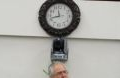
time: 11:42
